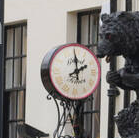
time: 1:59
